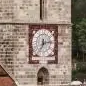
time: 7:13
